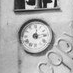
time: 12:13
